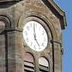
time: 4:59
